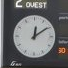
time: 12:09
